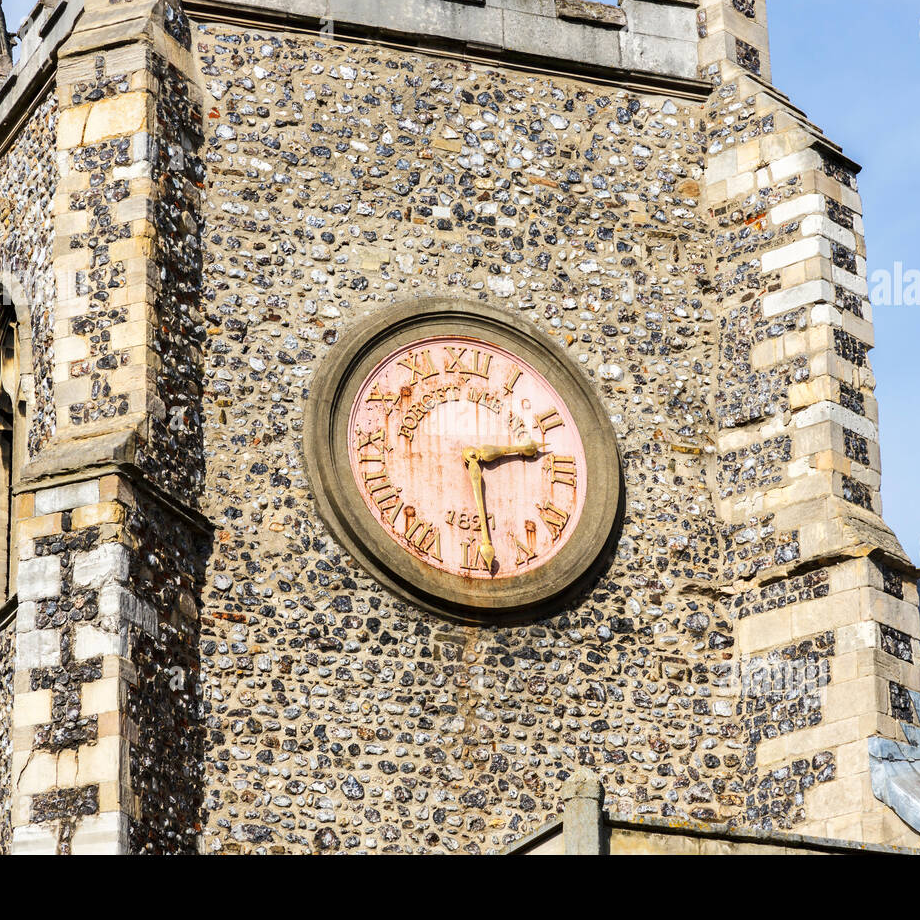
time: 2:29
